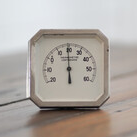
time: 5:59
